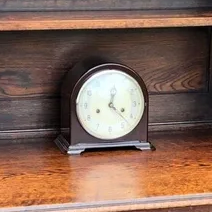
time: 12:22
